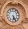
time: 5:24
